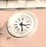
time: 3:28
